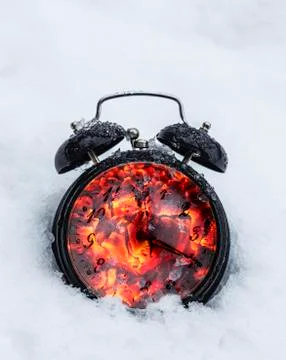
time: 12:19
